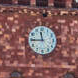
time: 11:45
